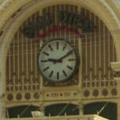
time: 9:10
